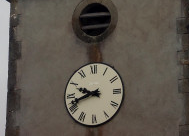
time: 9:42
